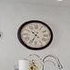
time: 10:34
